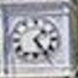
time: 1:24
